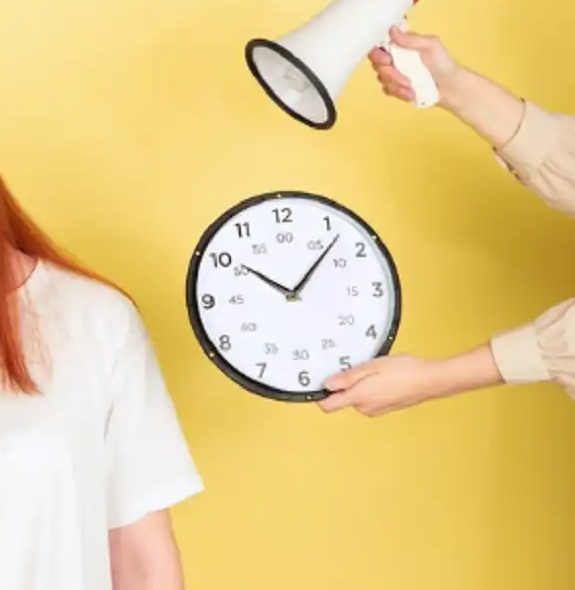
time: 10:07
